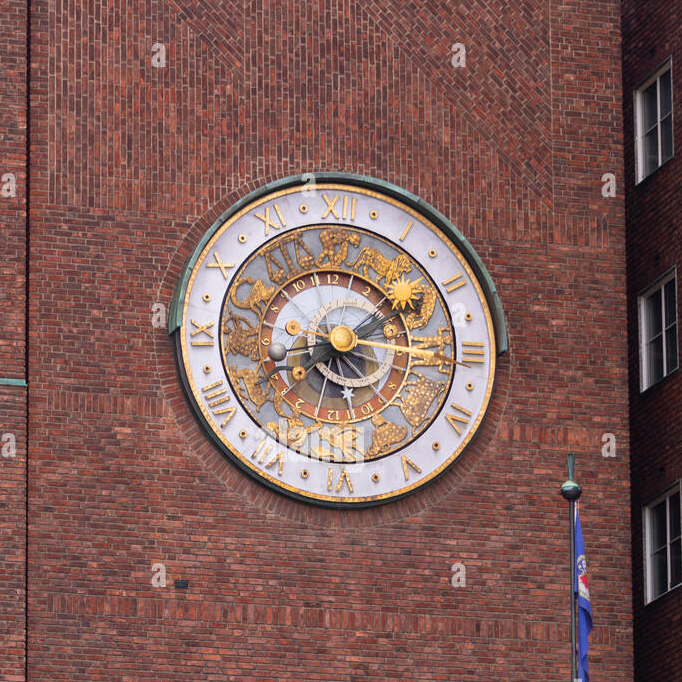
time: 8:09
